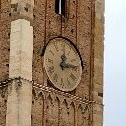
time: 12:13
